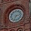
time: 7:12
